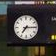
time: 7:15
